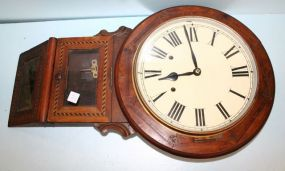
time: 11:43
